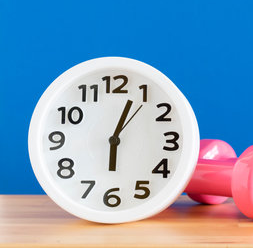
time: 6:03
